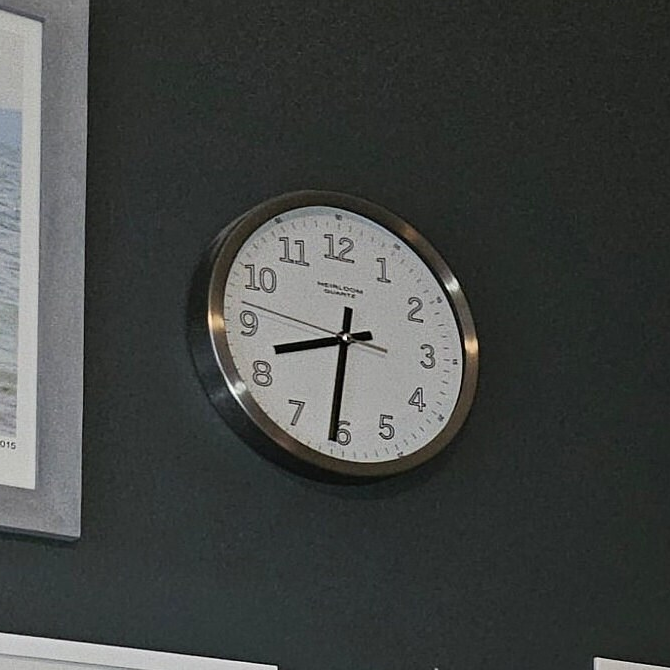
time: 8:30
